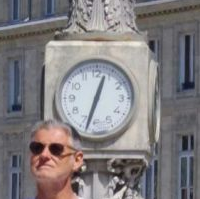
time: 12:32
